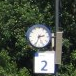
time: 2:34
